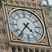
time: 4:36
